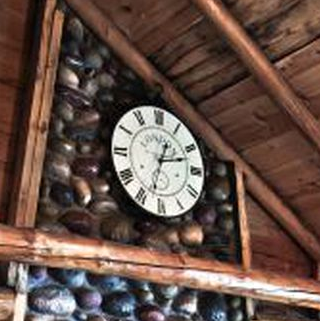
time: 2:32
